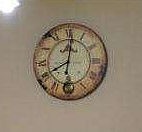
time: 8:01
